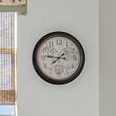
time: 7:46
